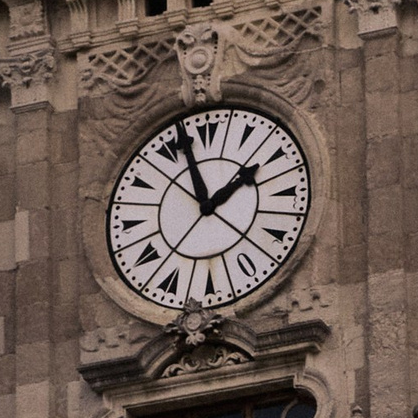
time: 1:57
